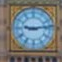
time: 9:13
